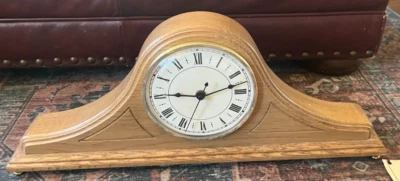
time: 9:12
